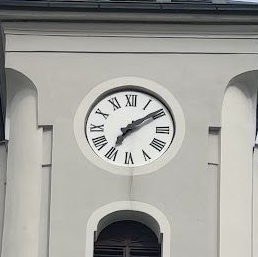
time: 7:09
